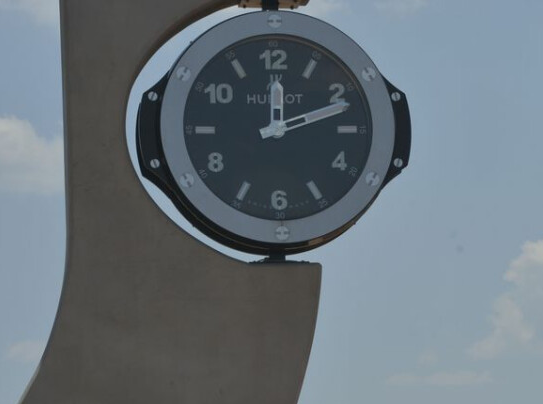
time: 12:11
